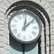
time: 12:07
